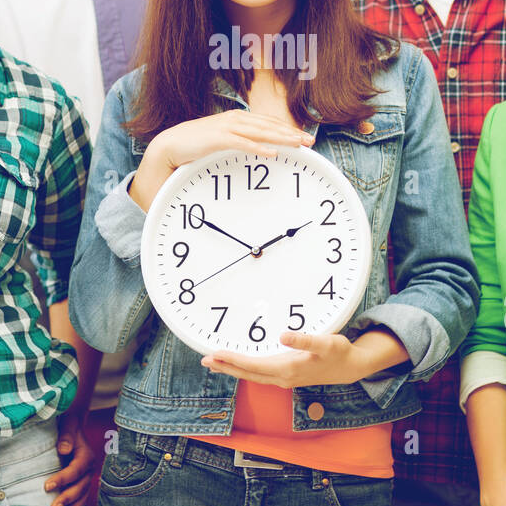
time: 1:50
